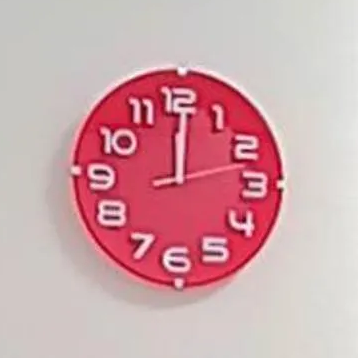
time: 12:00
